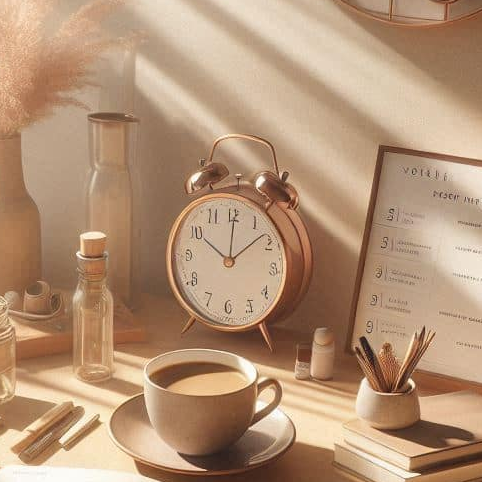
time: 10:00
